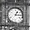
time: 1:16
